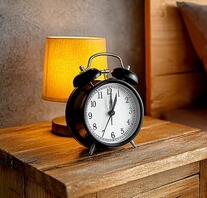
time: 1:01
